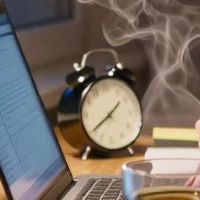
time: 1:39
